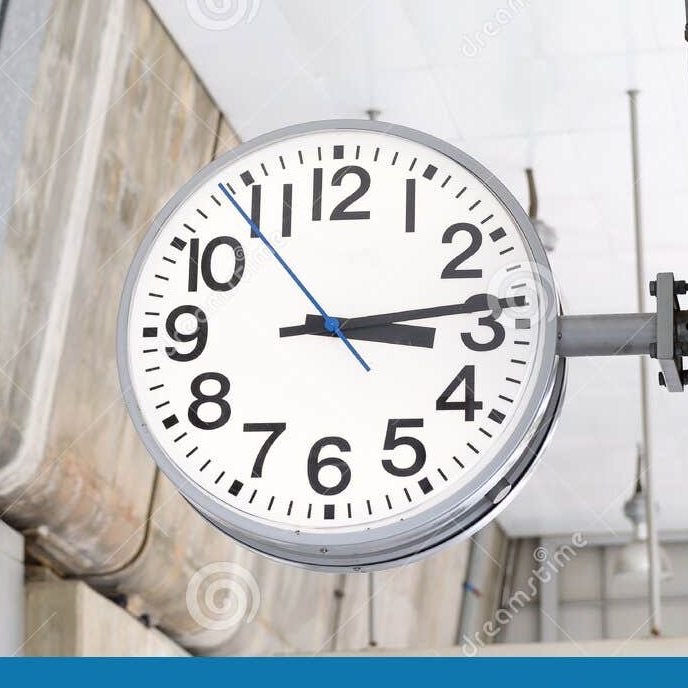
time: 3:13
